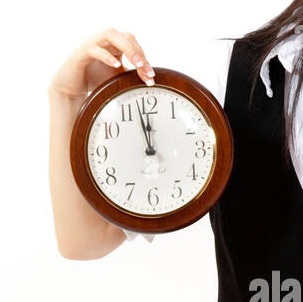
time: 11:57
